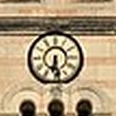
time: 6:28
